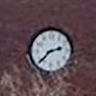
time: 2:37
